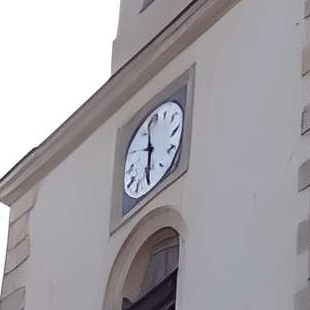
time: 5:58
